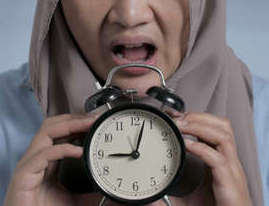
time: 9:03
